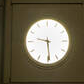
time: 9:29
